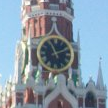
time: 11:11
